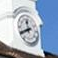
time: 11:40
